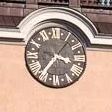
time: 3:36
